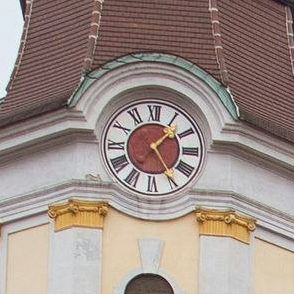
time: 1:24
